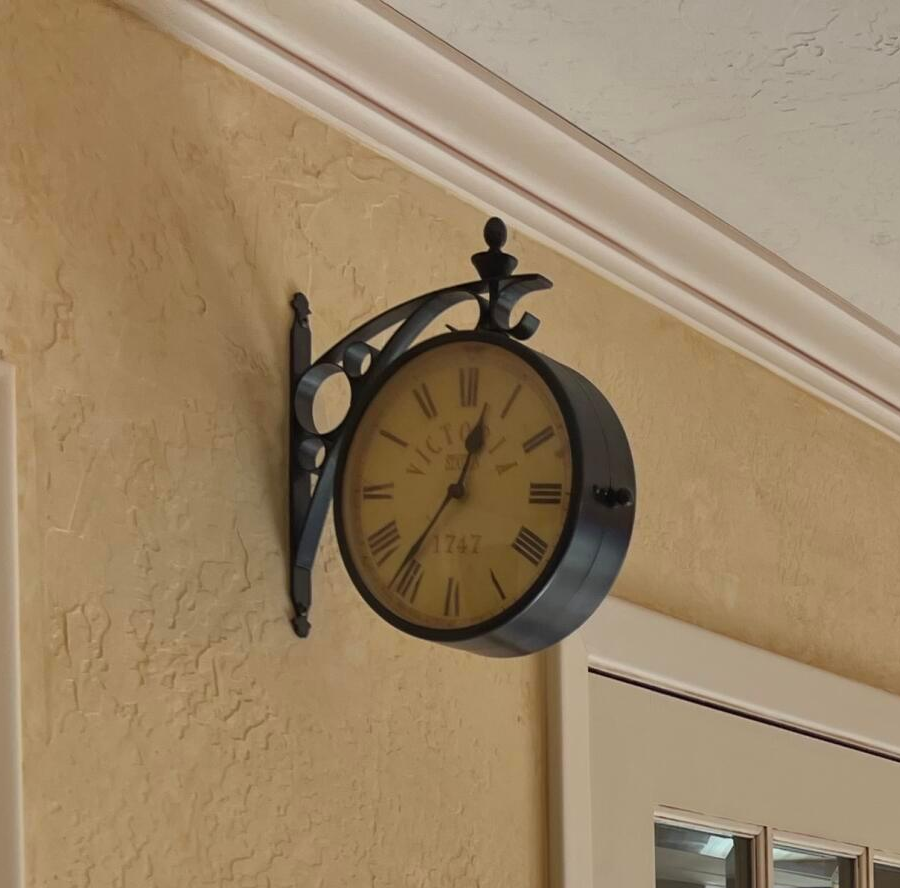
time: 12:36
